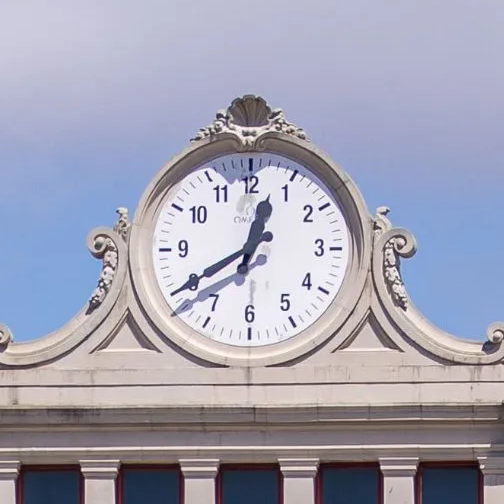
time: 12:39
